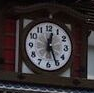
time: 12:25
